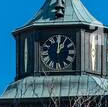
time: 1:01
